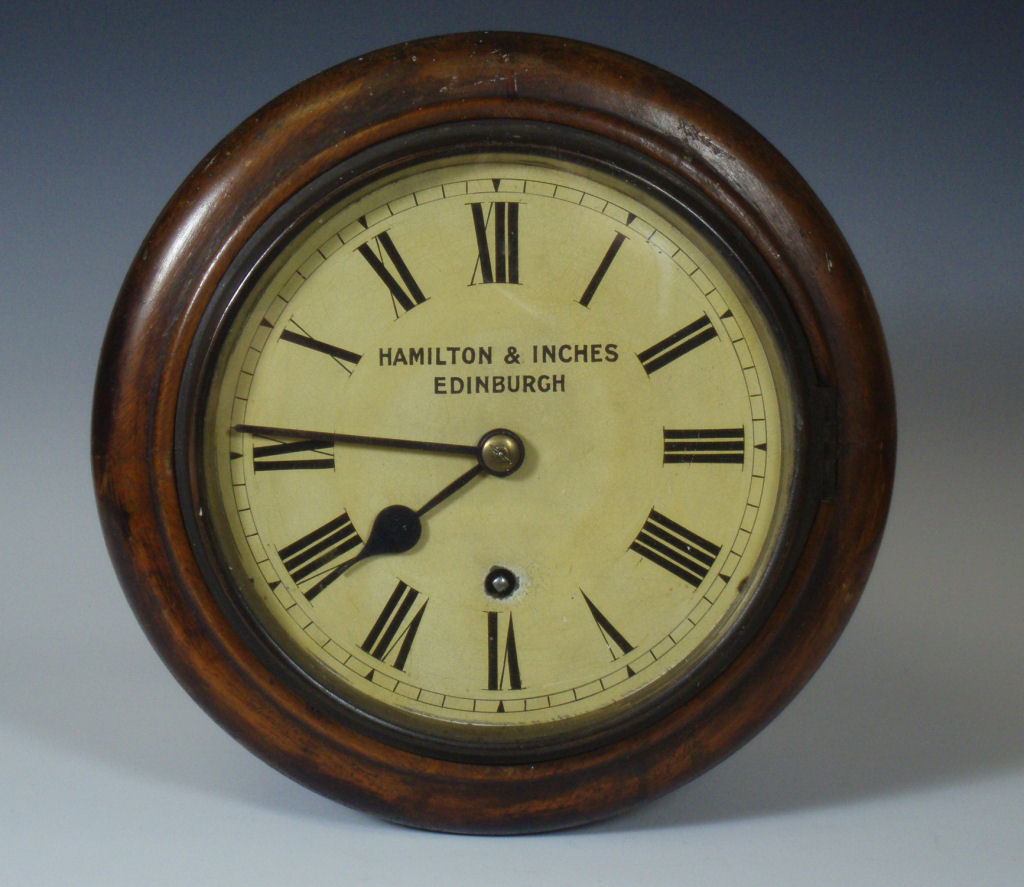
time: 7:45
